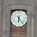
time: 6:23
